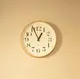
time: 12:55
